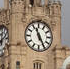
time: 11:25
